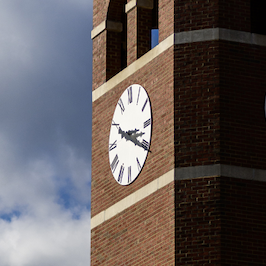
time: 3:20
